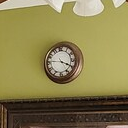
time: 3:46
